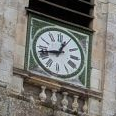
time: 12:42
